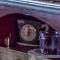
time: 5:59
